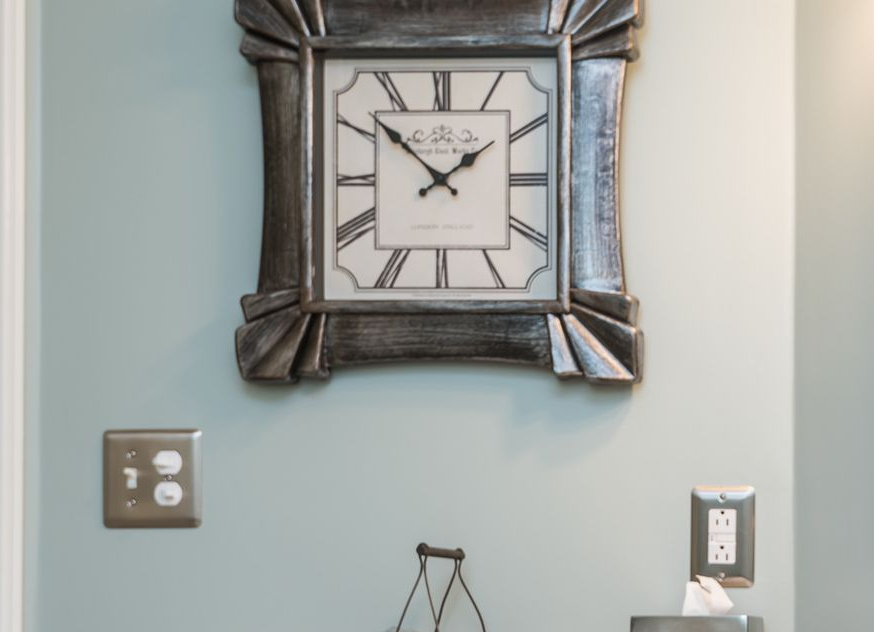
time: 1:51
